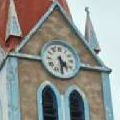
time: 4:29
